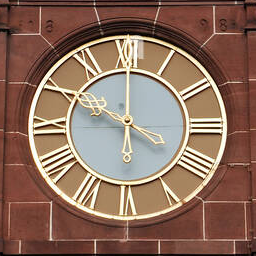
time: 3:50
